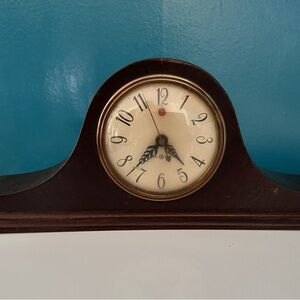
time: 4:36
